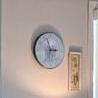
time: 2:57
